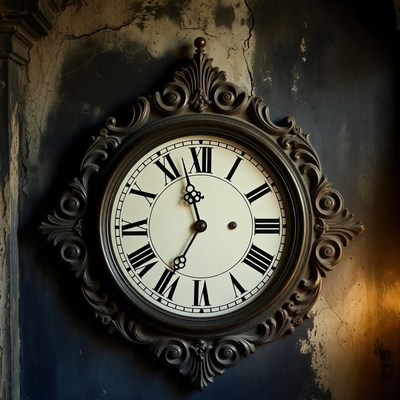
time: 11:35
